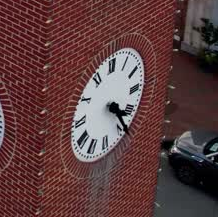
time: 4:24
